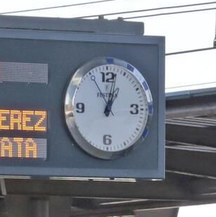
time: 1:02
